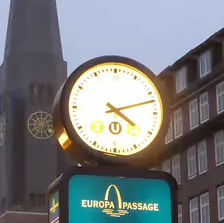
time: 4:12
